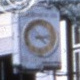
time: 4:13
